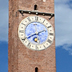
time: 6:40
